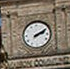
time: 2:09
